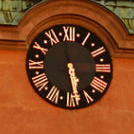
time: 5:28
